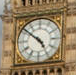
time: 4:51
